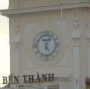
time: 5:03
